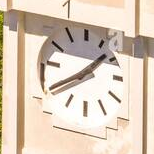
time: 1:40
